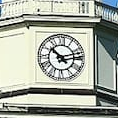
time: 10:12
